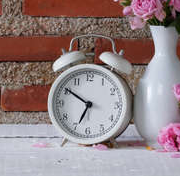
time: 6:50
